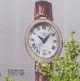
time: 10:07
